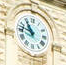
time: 10:47
